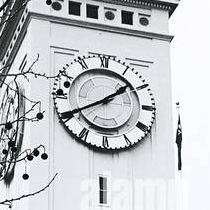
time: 1:40
